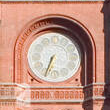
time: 6:32
